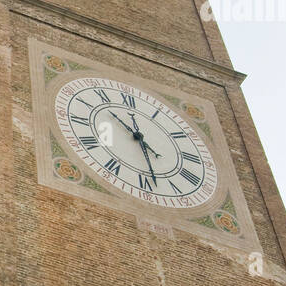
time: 10:28
